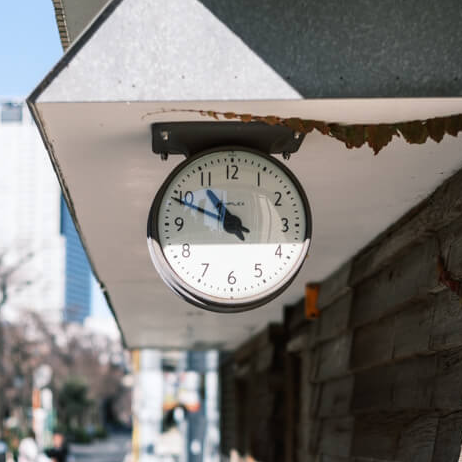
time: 10:48
